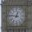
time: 12:46
